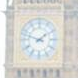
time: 1:47
